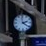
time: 2:21
